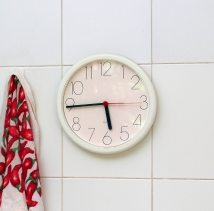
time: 5:44
